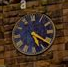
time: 5:20
